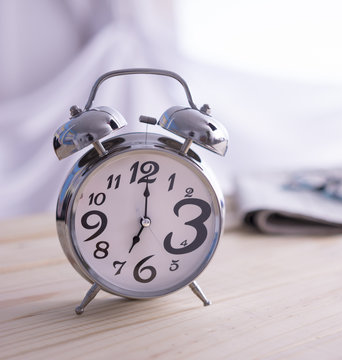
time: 7:00
